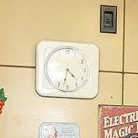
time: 4:32
